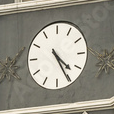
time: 4:25
